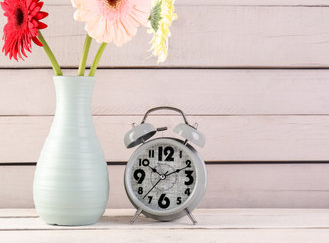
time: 10:12
